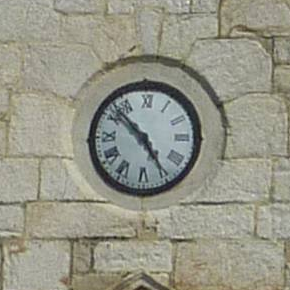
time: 4:52
